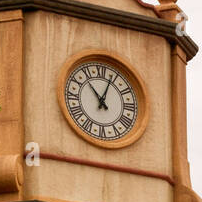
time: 12:53
